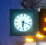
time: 6:18
